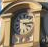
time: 3:12
